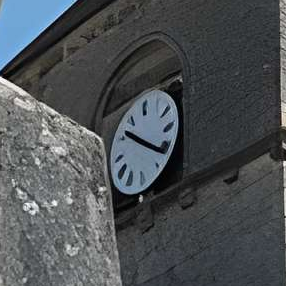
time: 10:21
